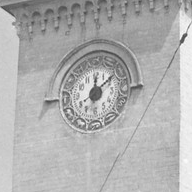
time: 12:07
